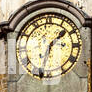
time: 1:32
